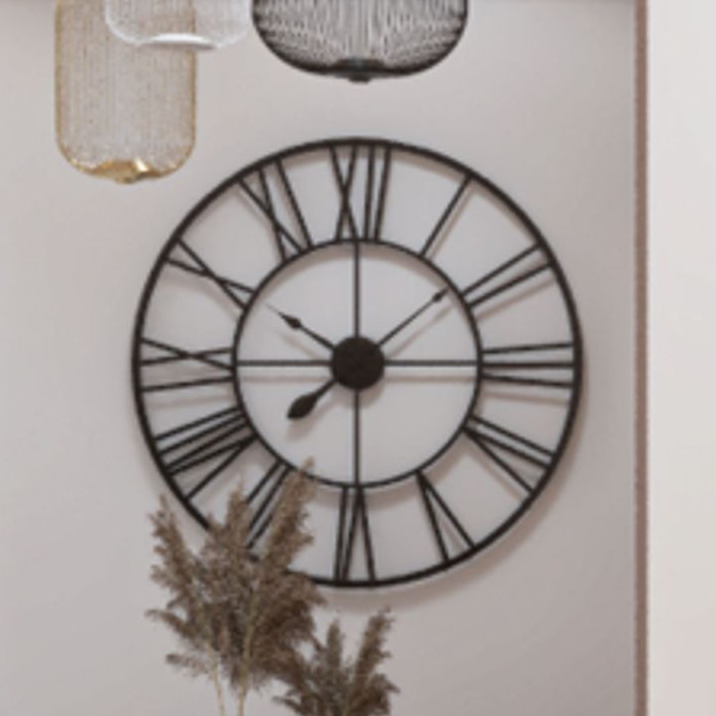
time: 7:15
